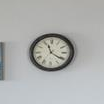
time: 11:20
